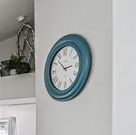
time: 2:52
